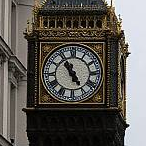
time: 4:54
